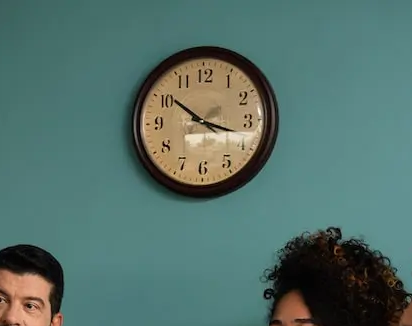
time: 10:17
